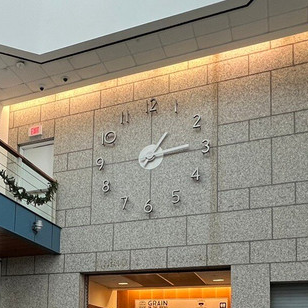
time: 1:14
